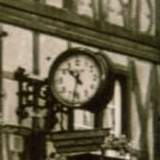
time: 10:32
